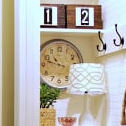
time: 10:47
